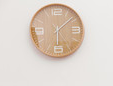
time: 6:08
